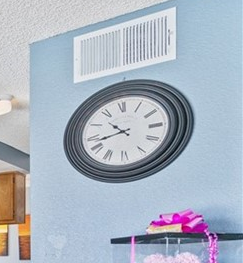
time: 10:42
